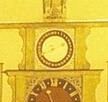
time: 8:11
